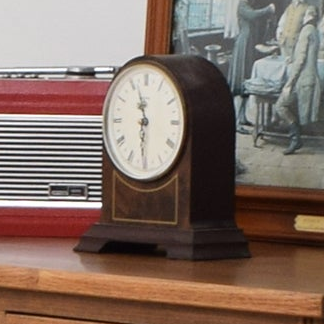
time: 11:29
